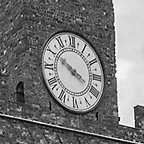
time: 3:50
